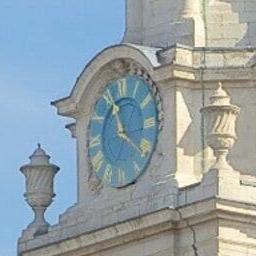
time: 11:21
